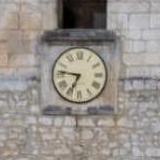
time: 6:46
